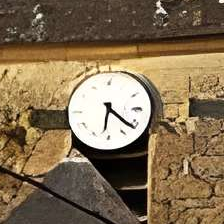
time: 6:21
